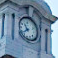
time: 10:39
